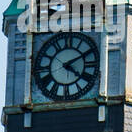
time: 4:10
